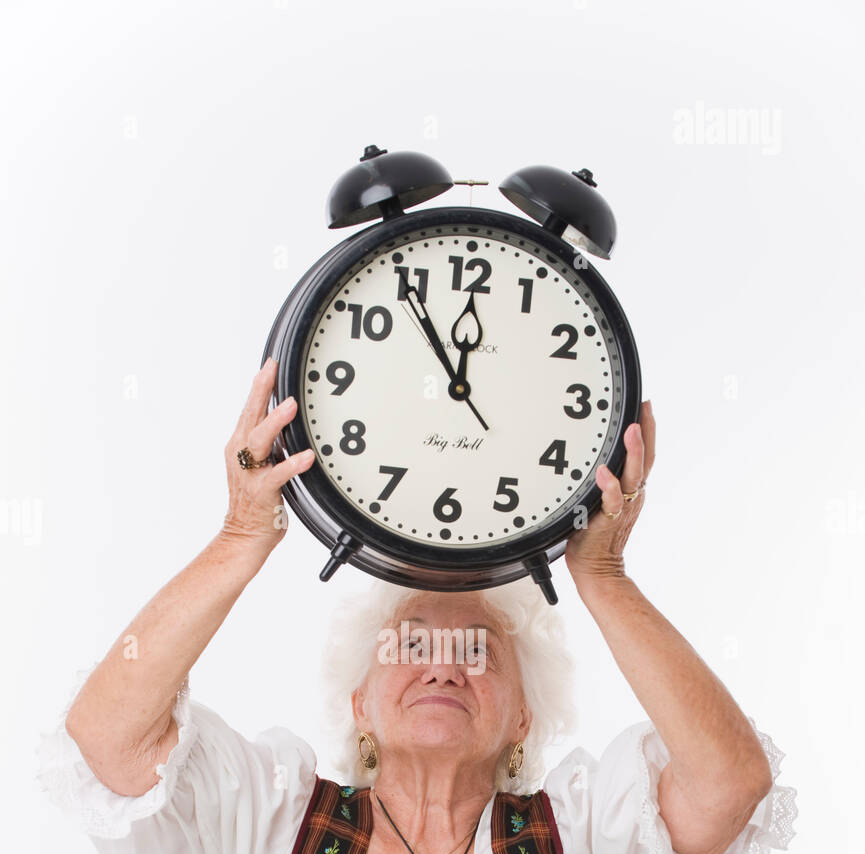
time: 11:54
